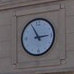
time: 2:55
